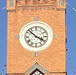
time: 3:52
